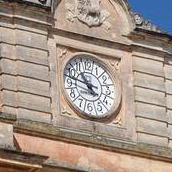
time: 10:47
